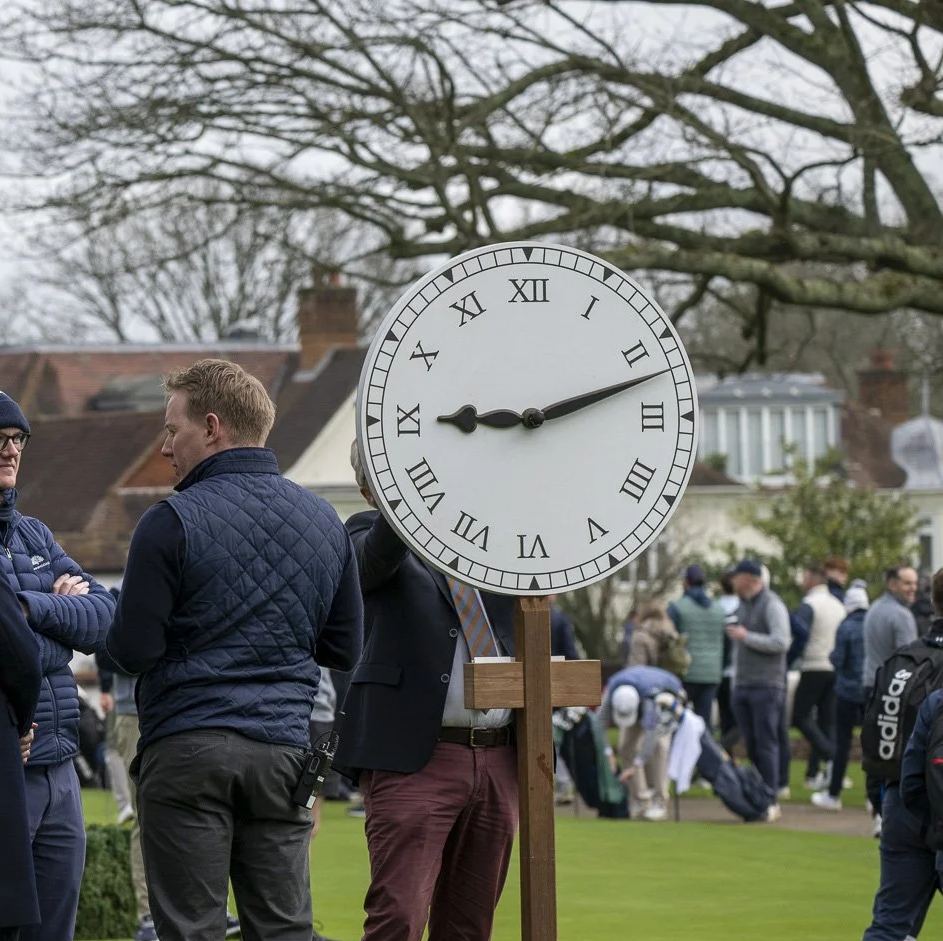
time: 9:12
